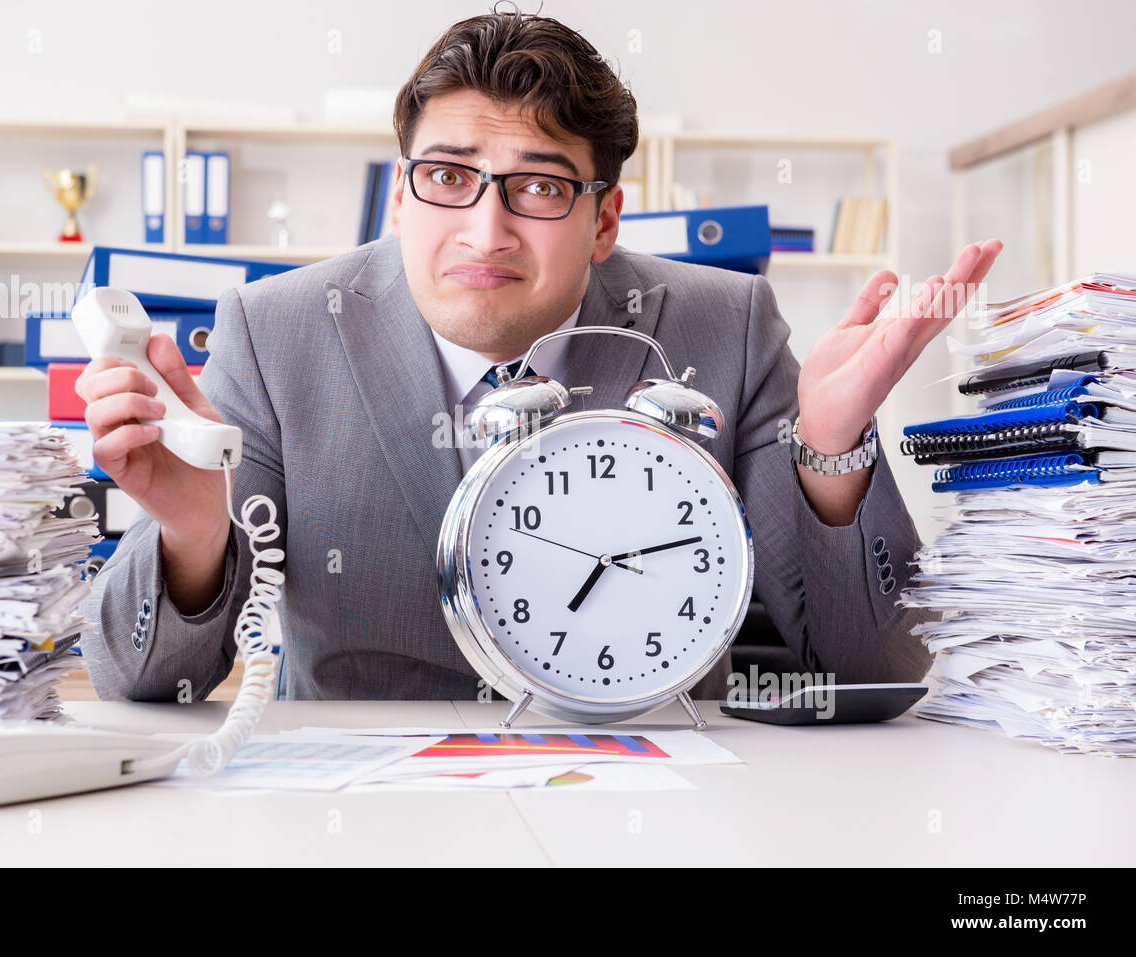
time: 7:13
